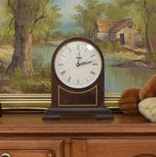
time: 12:13
